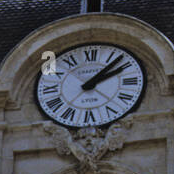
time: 2:07
